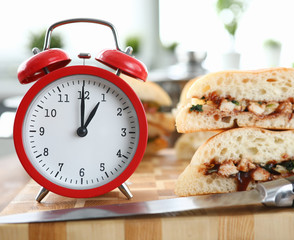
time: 1:00
